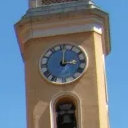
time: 3:01
